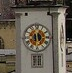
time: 6:29
